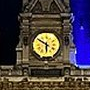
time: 5:49
